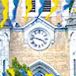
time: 3:47
